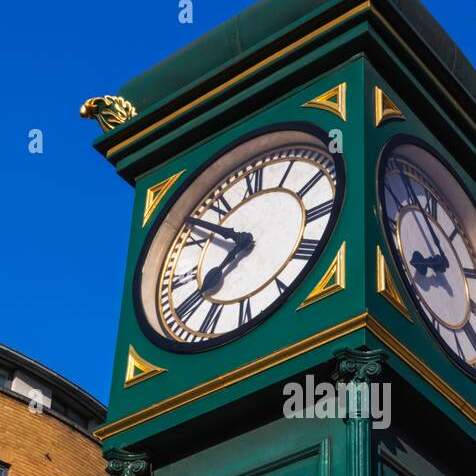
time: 7:51
